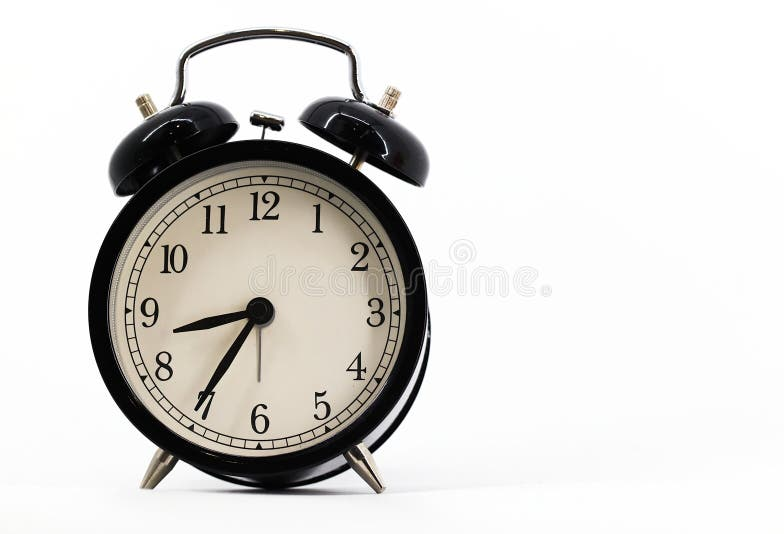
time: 8:35
